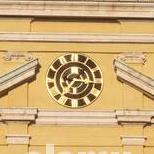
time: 7:15
